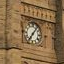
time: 7:06
